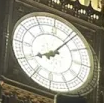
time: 8:06
